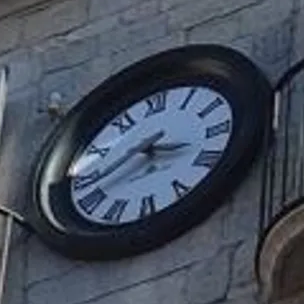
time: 3:40
